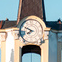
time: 7:49
